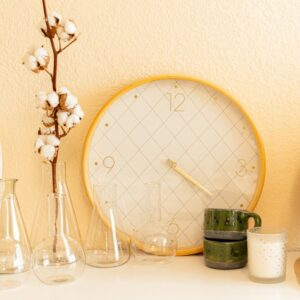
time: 4:20
